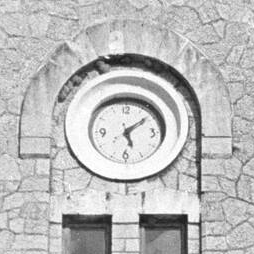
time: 5:08
